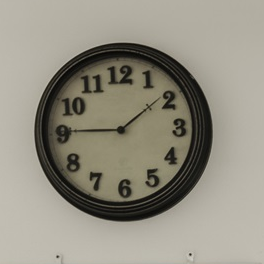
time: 1:45
